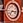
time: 7:15
